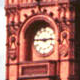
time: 2:45
